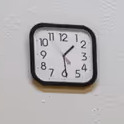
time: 1:29
